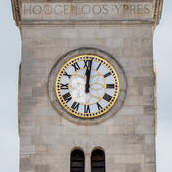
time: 12:01
